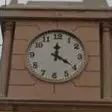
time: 12:20
